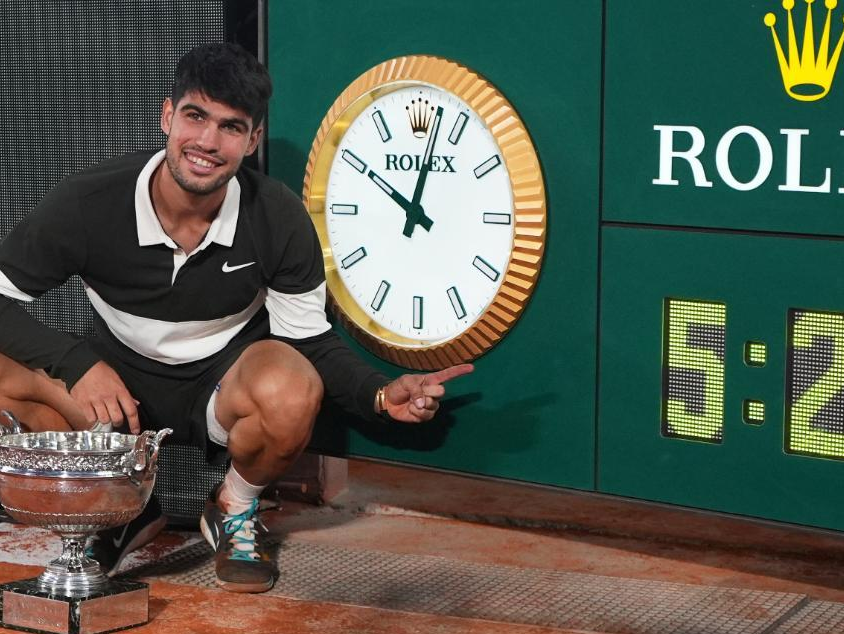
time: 10:02
